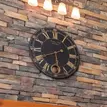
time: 5:41
